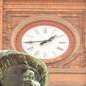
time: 1:44
